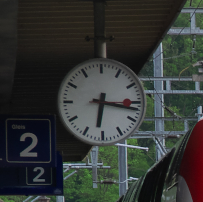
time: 6:16
